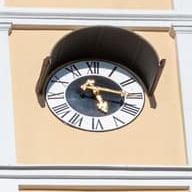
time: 5:18
